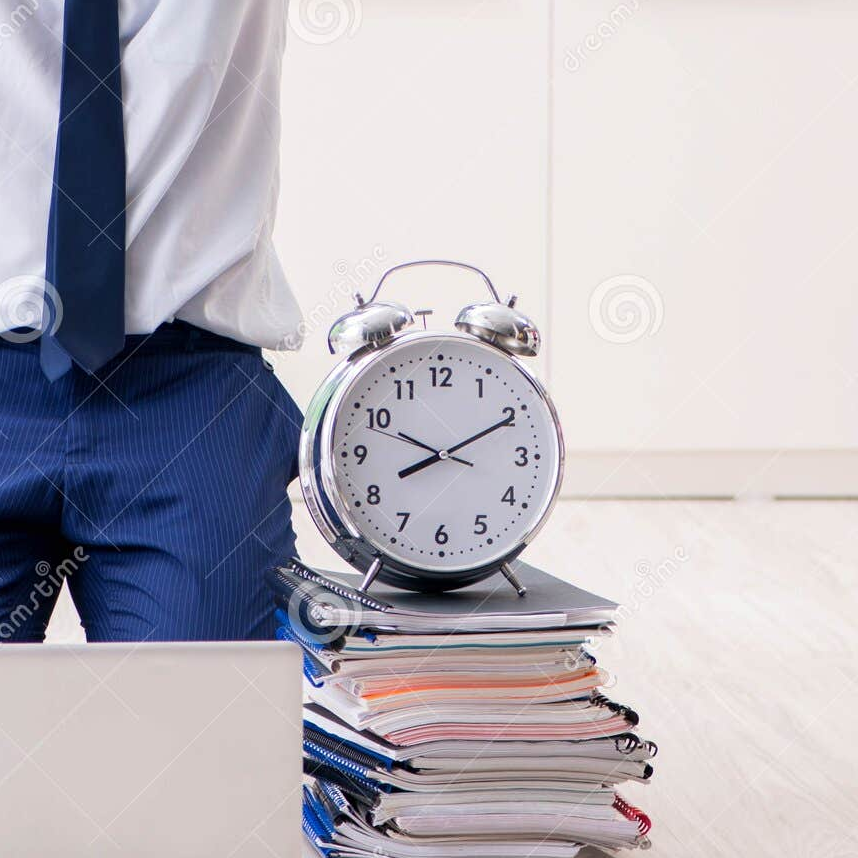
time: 8:10
